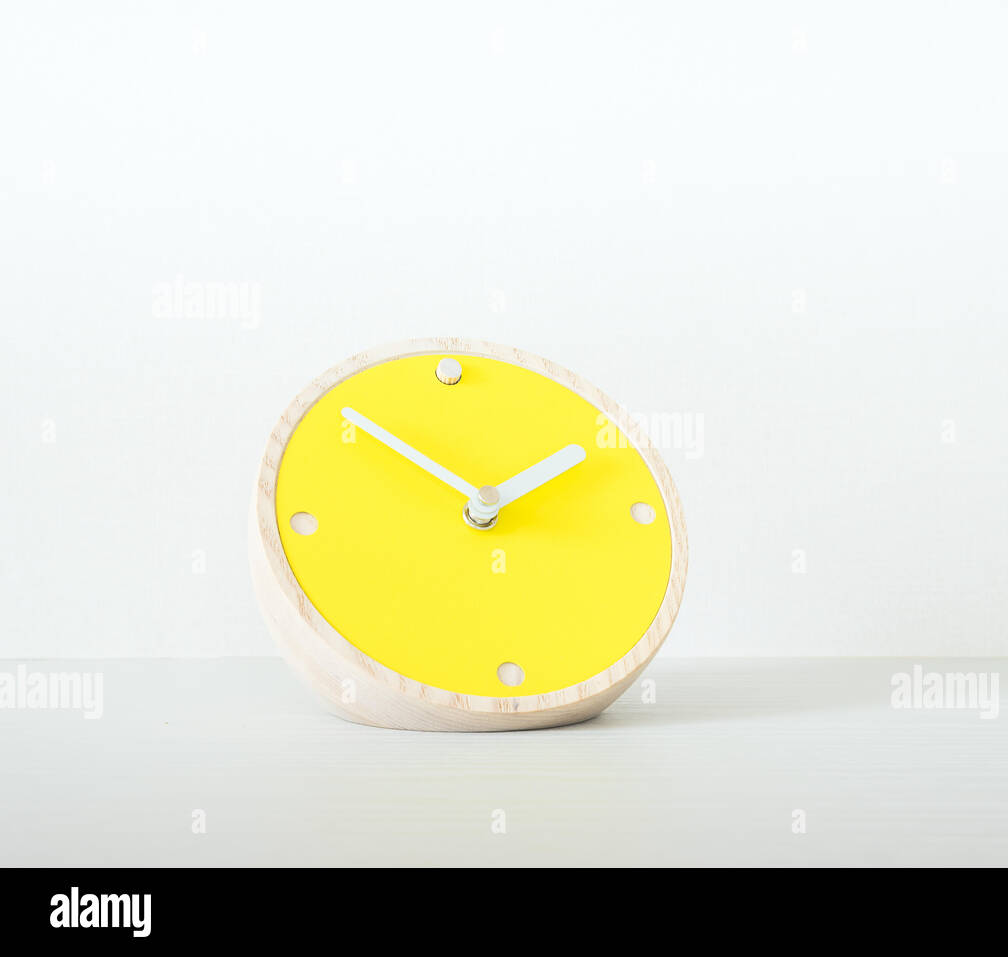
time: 1:51
